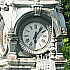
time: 6:06
